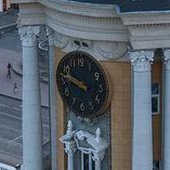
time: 9:47
